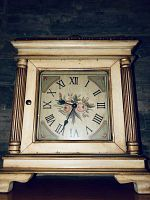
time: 9:34
